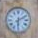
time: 6:10
